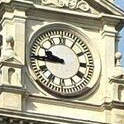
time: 9:44
